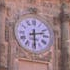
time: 2:29
